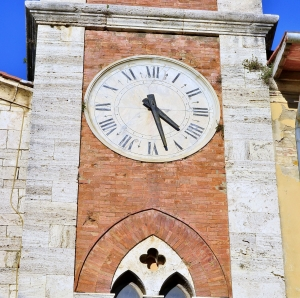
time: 4:27
